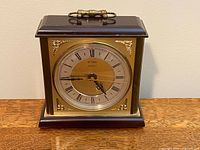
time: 4:44
